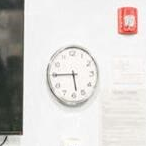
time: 5:45
